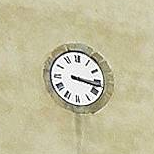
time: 3:17
